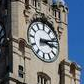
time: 3:11
